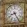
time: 8:25
